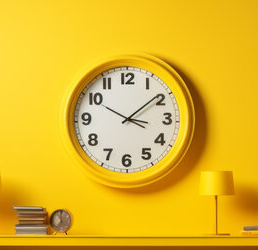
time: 3:08
